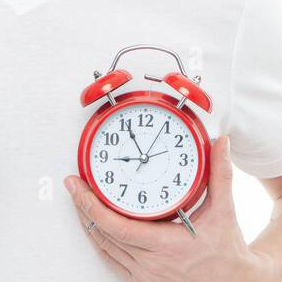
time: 8:55
